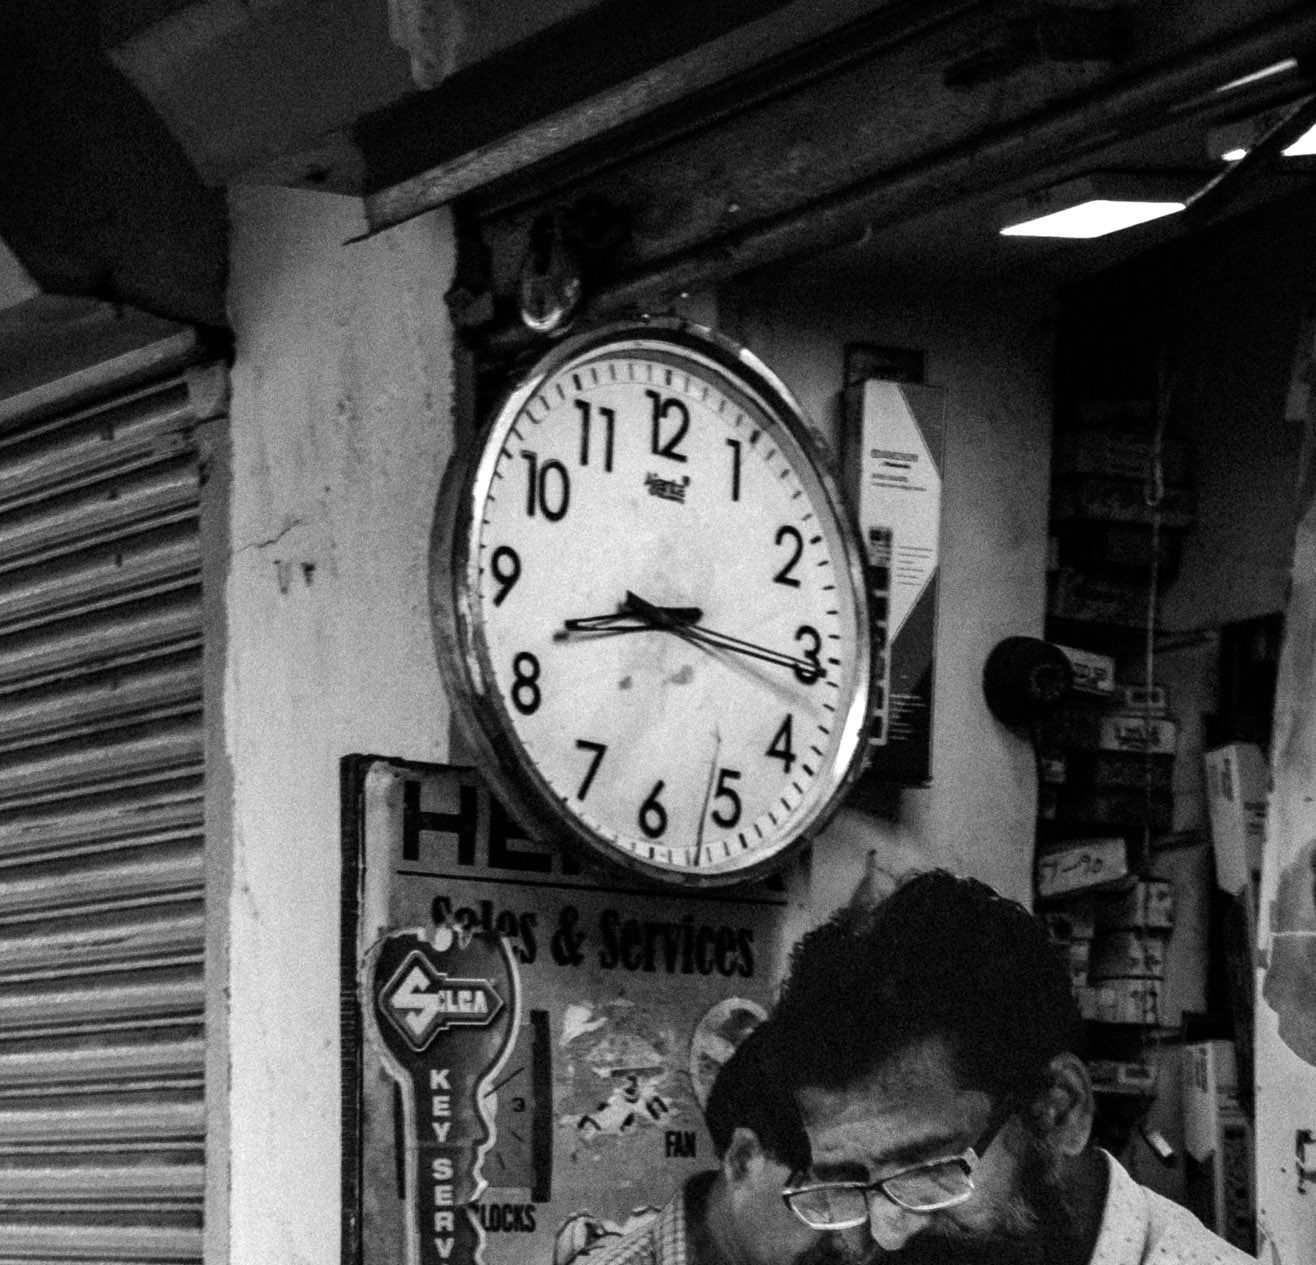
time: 8:16
